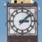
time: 3:08
